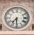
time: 7:30
